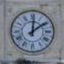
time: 12:09
